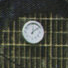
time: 12:08
